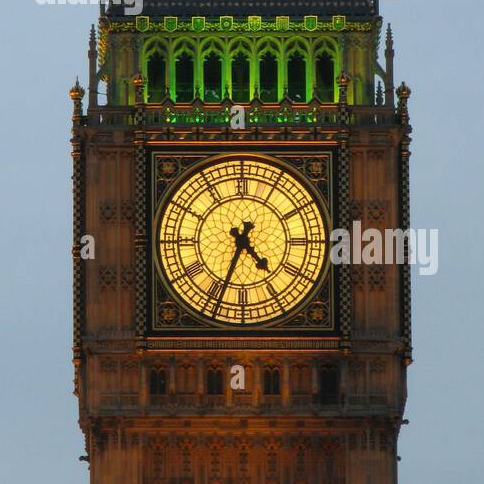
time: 4:33
